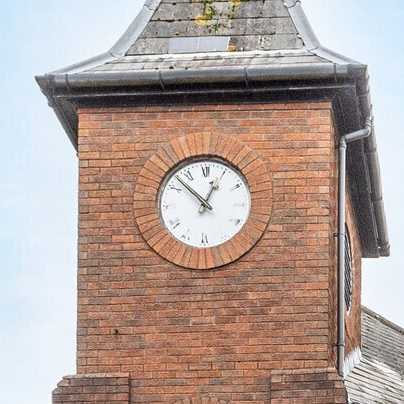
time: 12:52
